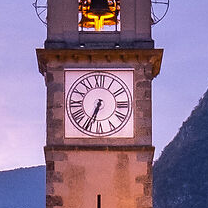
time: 6:34
